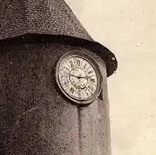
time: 9:13
